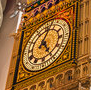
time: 5:03
